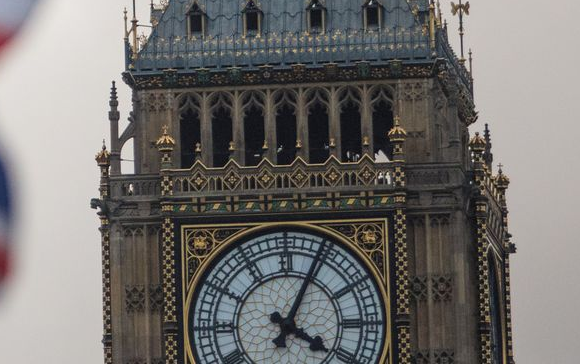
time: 4:04
